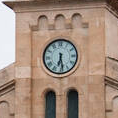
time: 6:28
